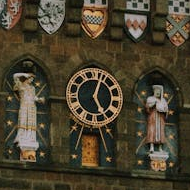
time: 5:03
